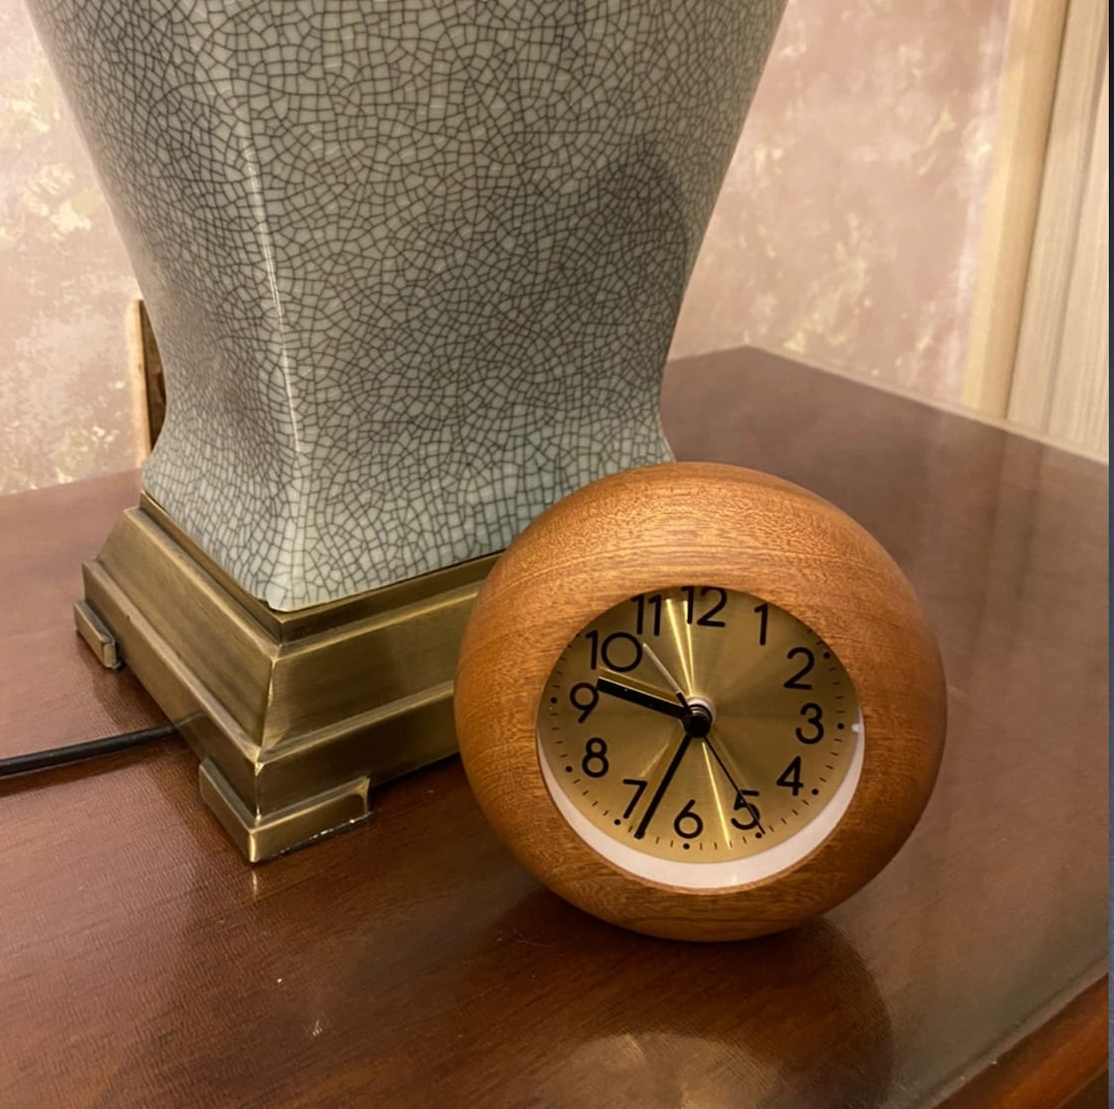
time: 9:33
